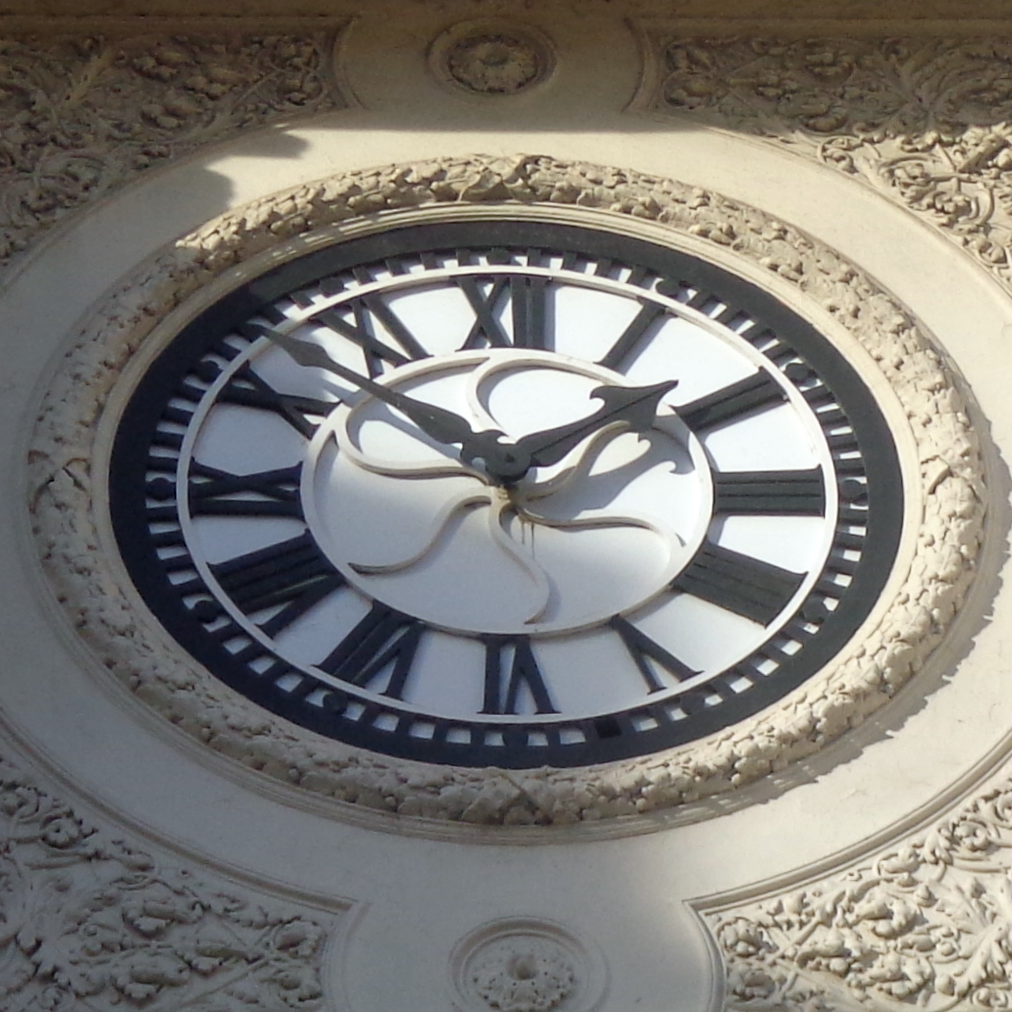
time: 1:52
